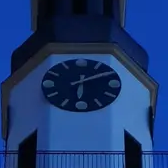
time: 6:10
